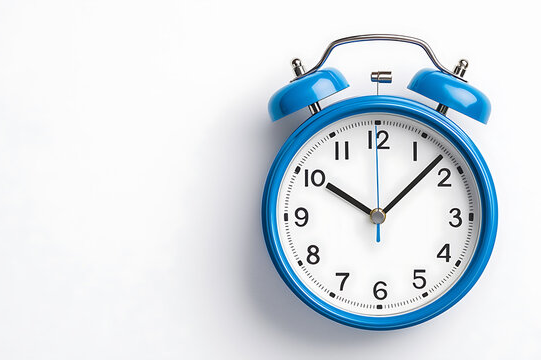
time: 10:07
